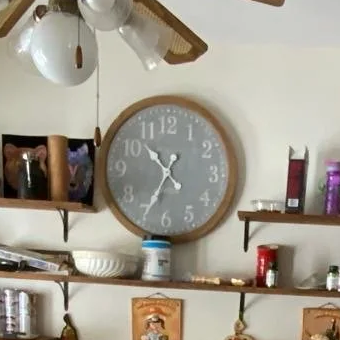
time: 10:34
